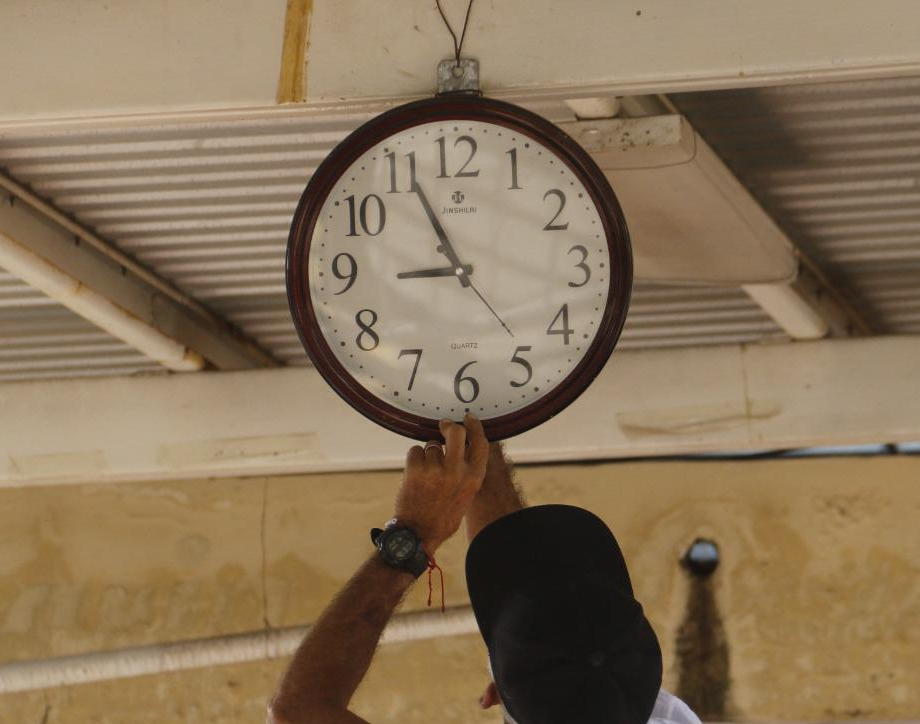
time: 8:55
